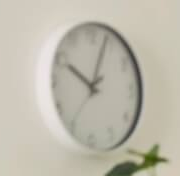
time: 10:03
